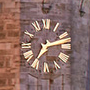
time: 7:12
